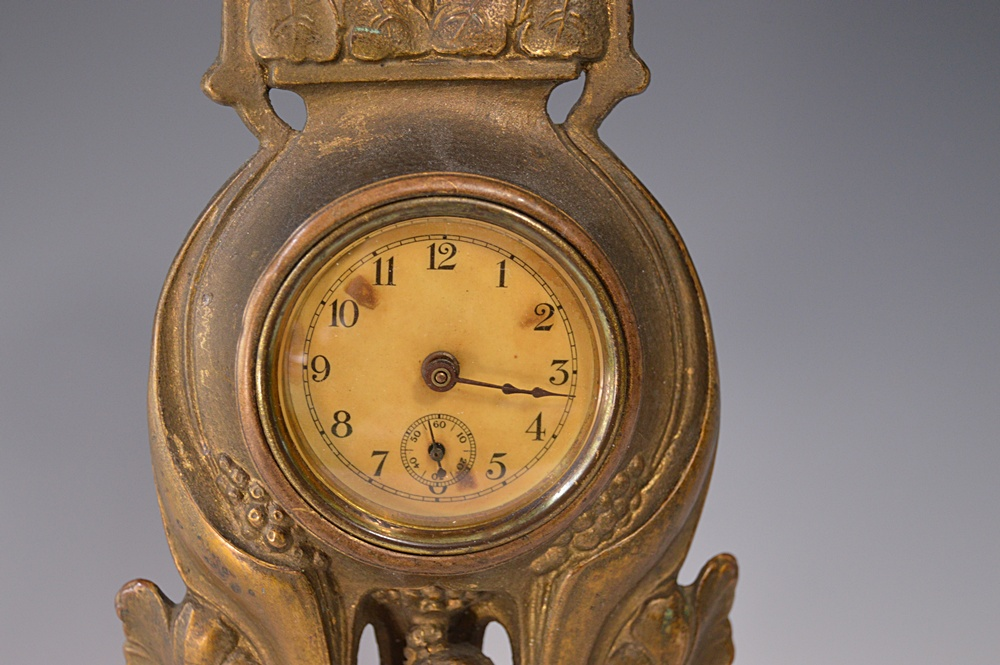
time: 3:16
